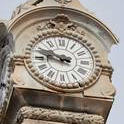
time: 9:47
